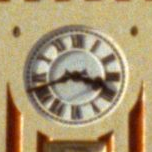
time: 3:41
